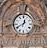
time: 12:40
